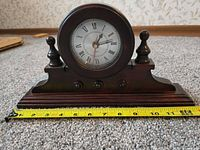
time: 1:13
